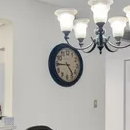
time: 4:44
